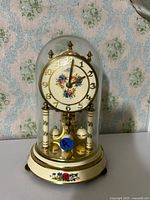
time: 2:01
